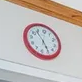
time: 4:53
